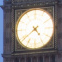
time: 4:38
